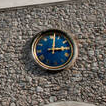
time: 3:02
